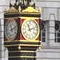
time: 11:11
